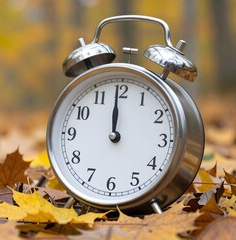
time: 11:59
